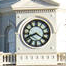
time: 8:20
